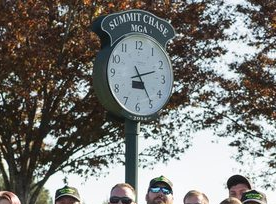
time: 2:24
